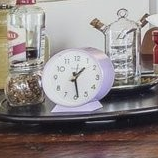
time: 1:28
